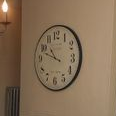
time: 10:47
